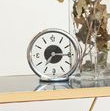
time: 7:15
